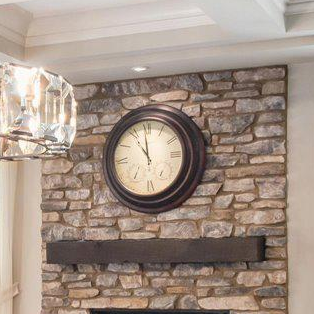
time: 10:58
